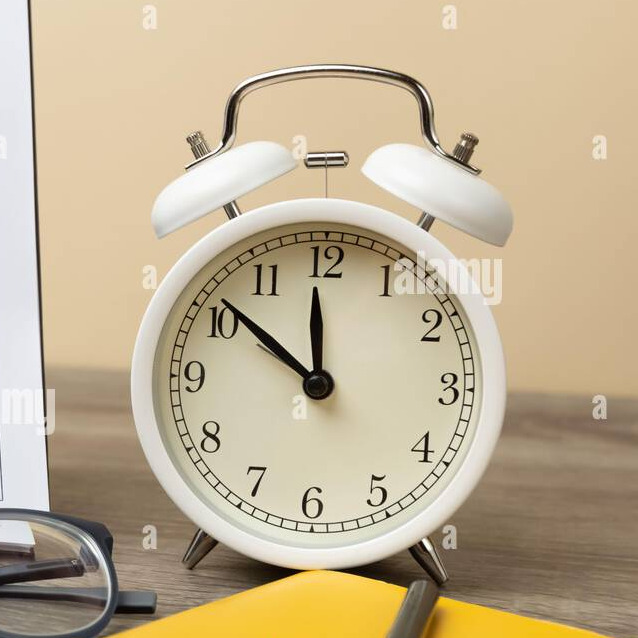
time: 11:51
